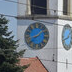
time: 8:07
